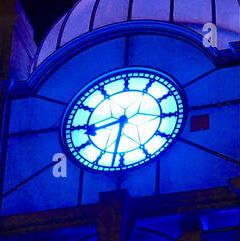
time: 8:31
